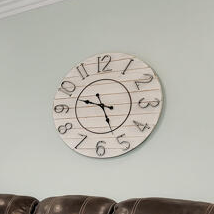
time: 9:26
